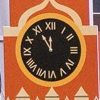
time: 11:55
